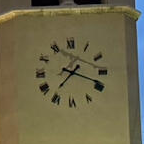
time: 7:18
